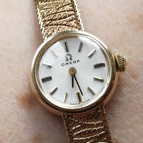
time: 6:28
